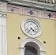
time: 4:35
